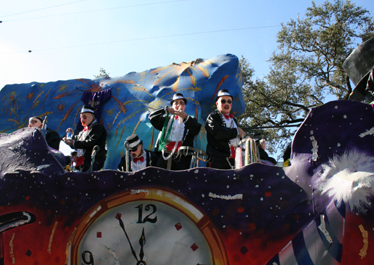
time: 11:55
